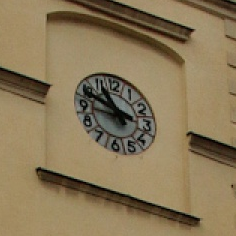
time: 10:48
